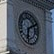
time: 6:11
